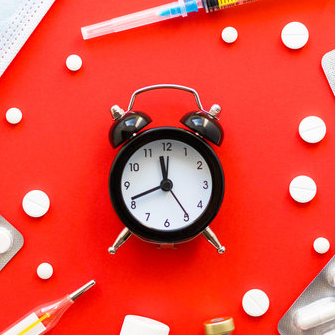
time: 11:41
